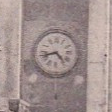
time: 4:42
